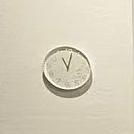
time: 11:02
